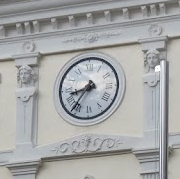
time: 8:36
